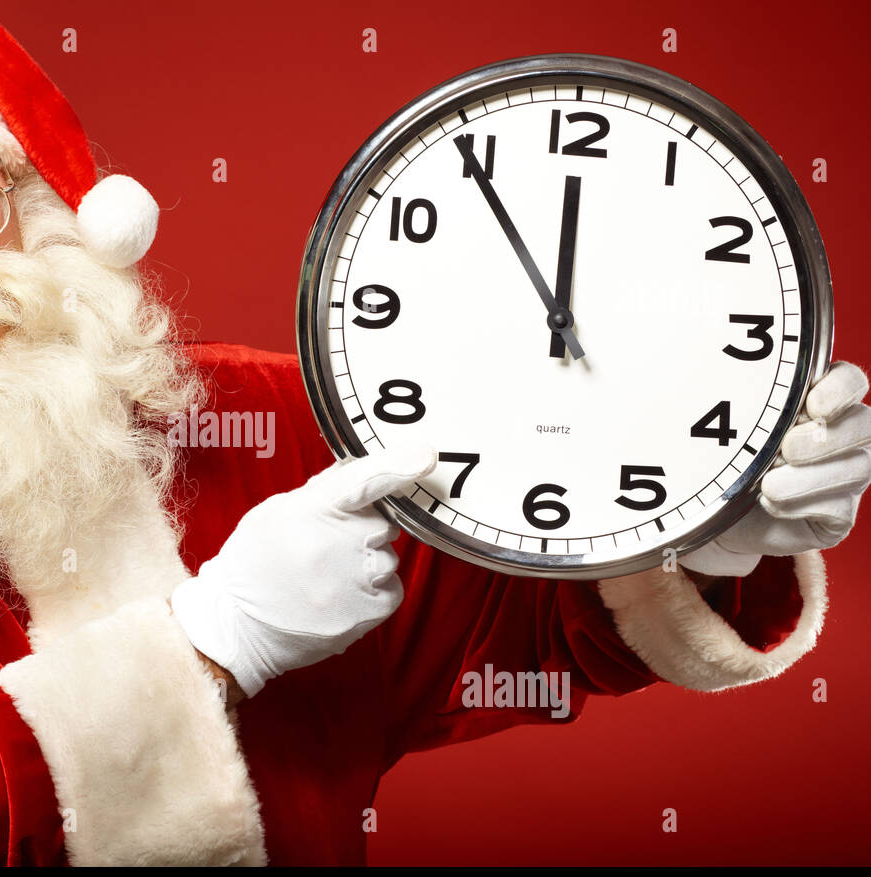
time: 11:54
